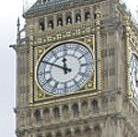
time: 11:49
